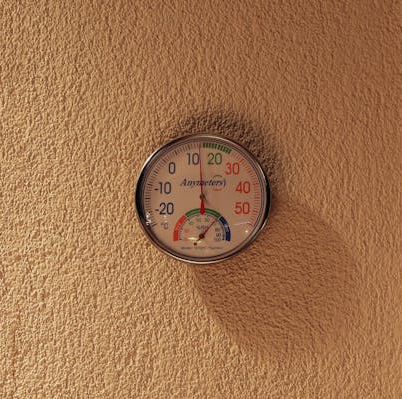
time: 3:58
